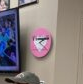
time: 2:21
